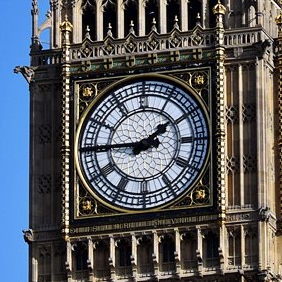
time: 1:45
